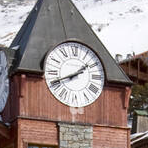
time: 1:41
